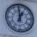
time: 12:59
